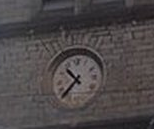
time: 10:37
